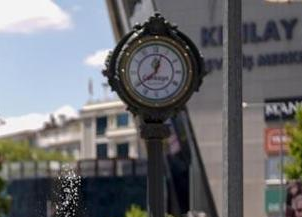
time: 12:38
